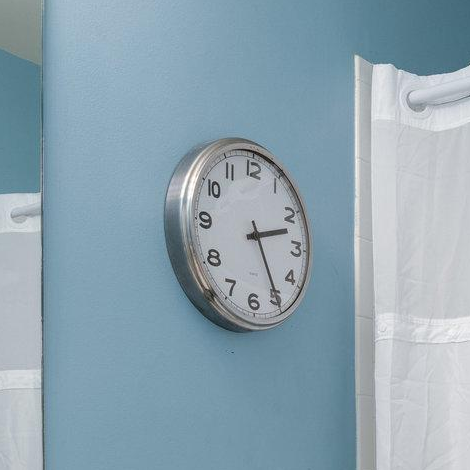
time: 2:24
